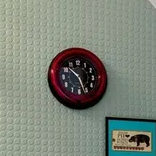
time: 10:26
